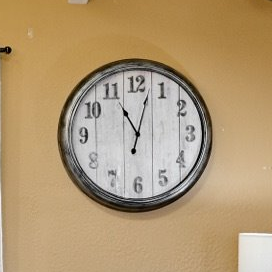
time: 11:02
